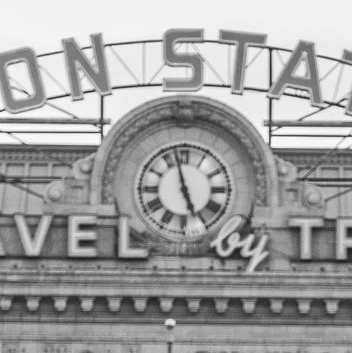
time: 4:57
